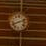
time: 8:12
